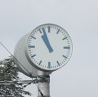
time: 10:56
